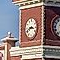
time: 8:16
